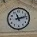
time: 11:12
